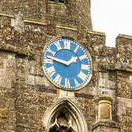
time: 1:46
